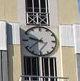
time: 9:38
